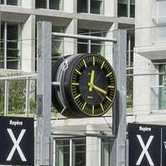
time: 12:18
